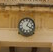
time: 4:04
